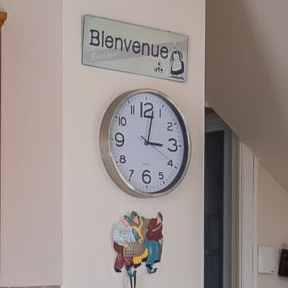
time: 3:02
